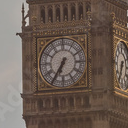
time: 6:35
